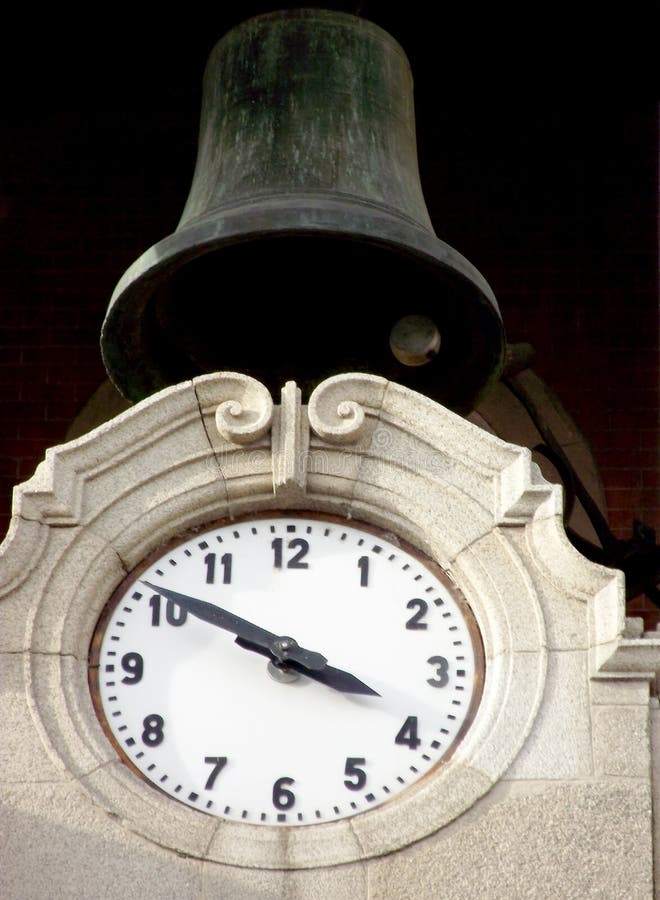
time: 3:50
